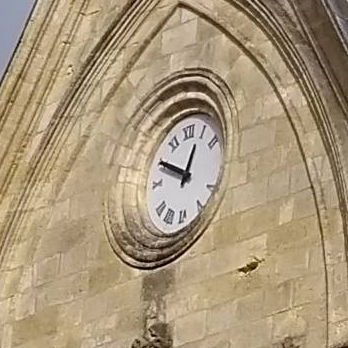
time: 12:49
